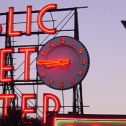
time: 8:45
